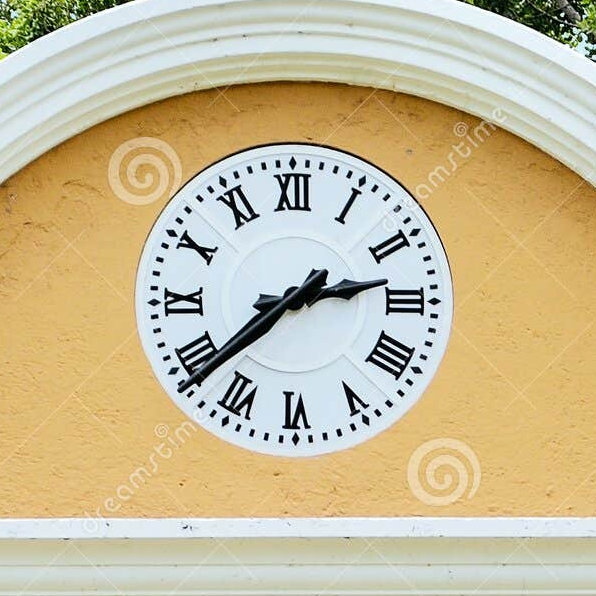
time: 2:38
